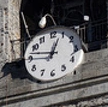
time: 12:46
